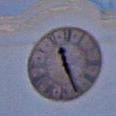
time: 11:25
